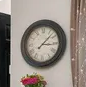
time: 3:07
